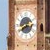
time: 2:40
